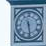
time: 11:28
